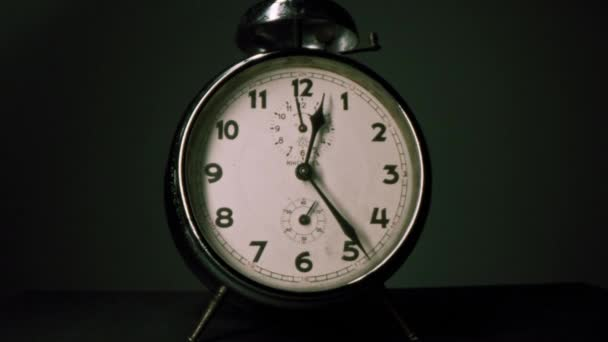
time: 12:23
